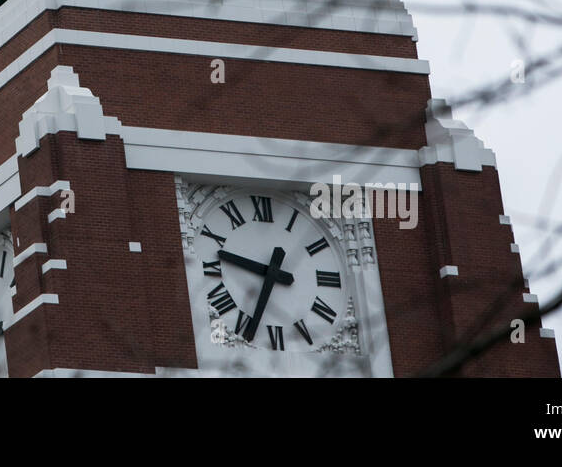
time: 9:34
